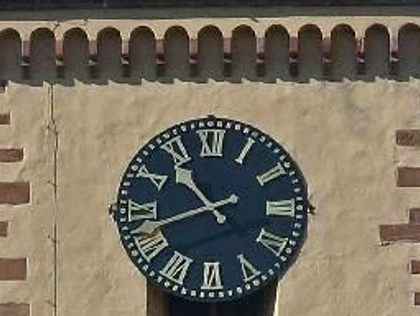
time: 10:42
